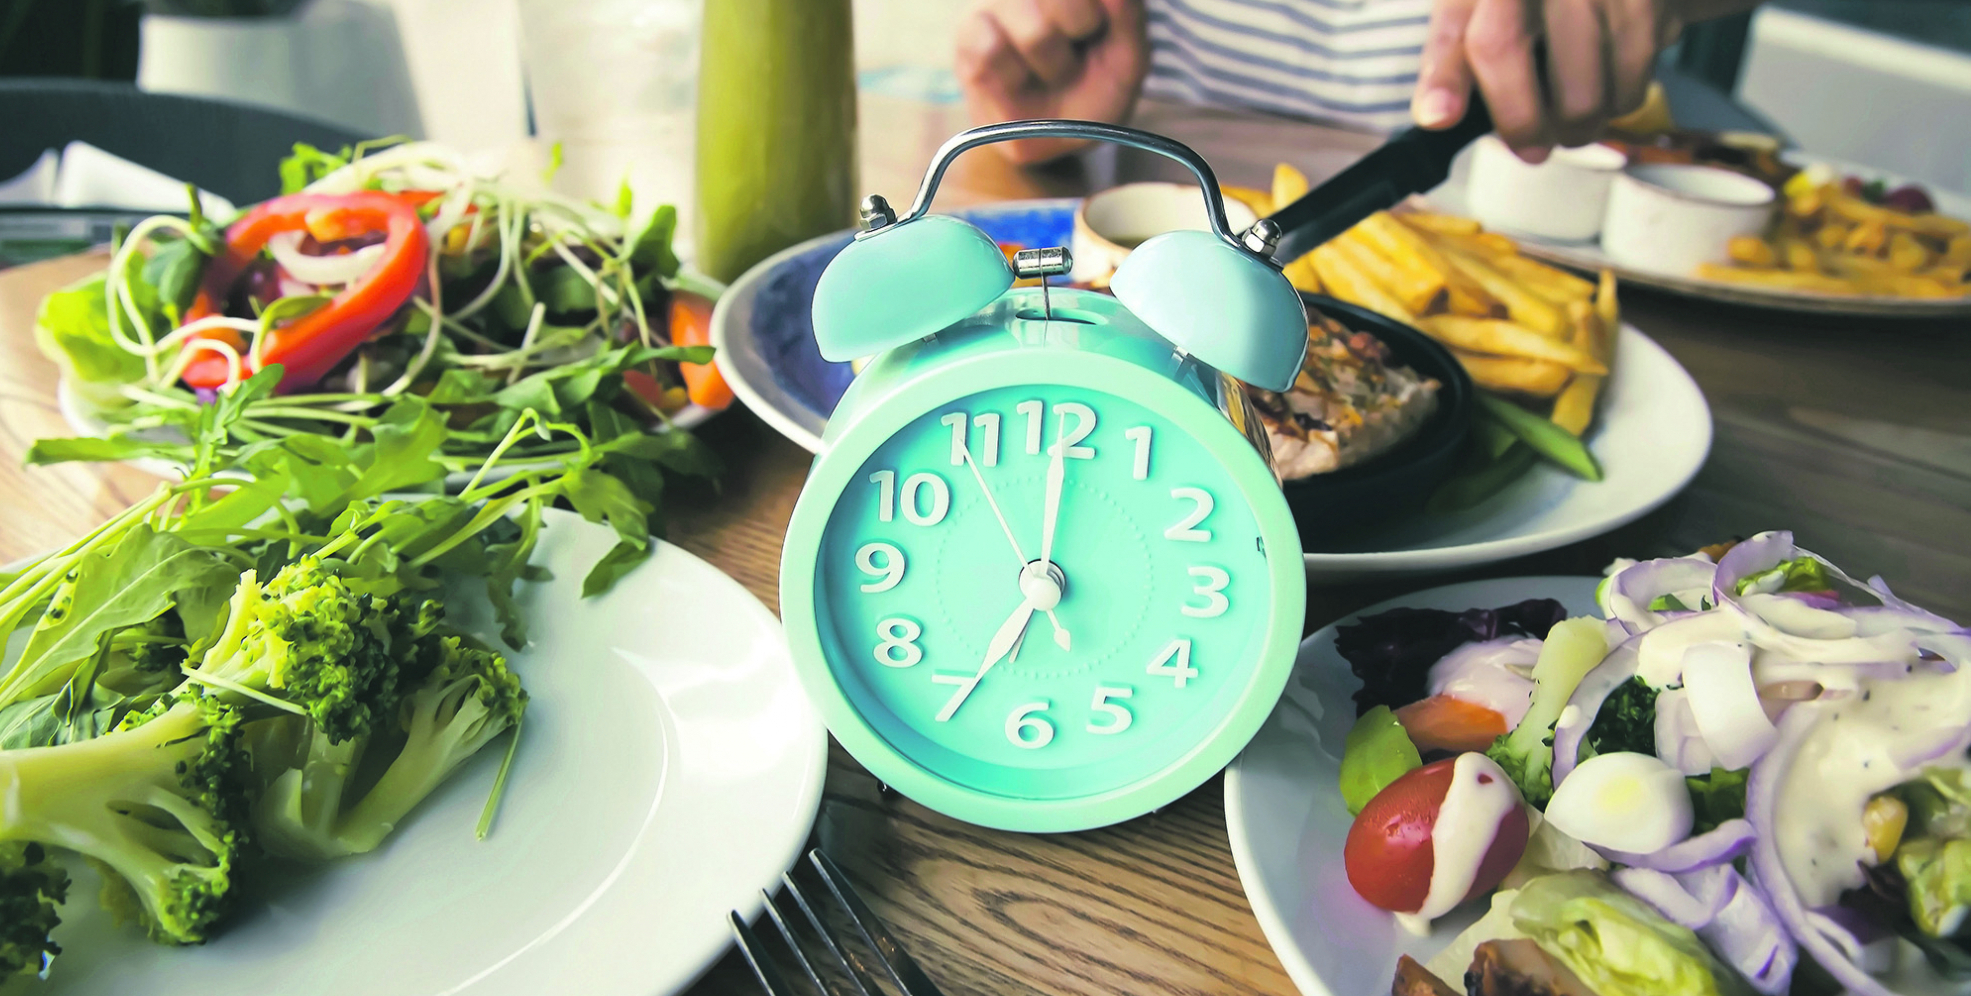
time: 7:00
